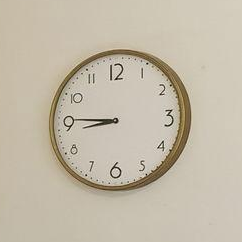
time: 8:45
